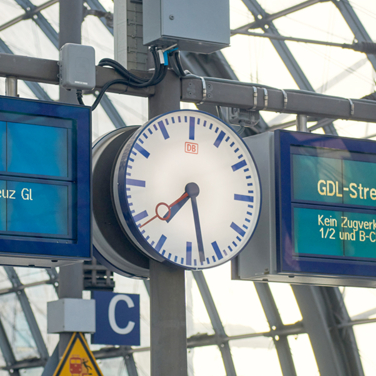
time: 7:28
